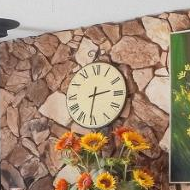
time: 2:31
